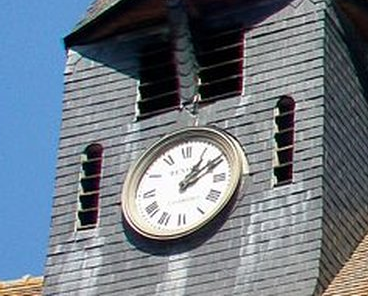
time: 1:10
